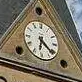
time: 6:21
